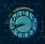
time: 8:41
